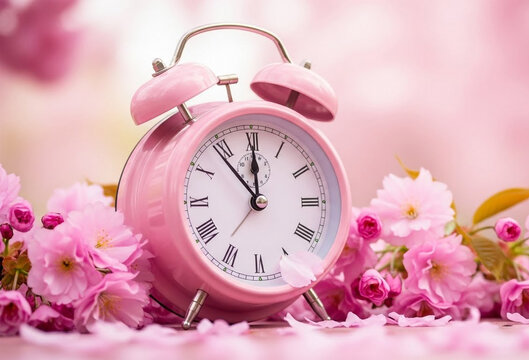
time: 11:53
